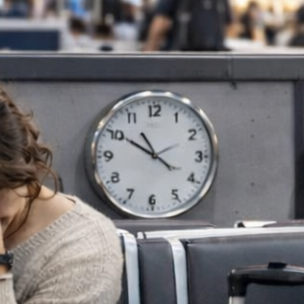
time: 10:50
